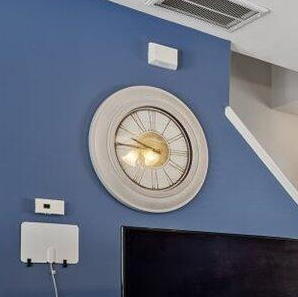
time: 9:45
